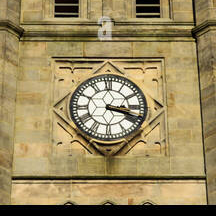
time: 3:18
